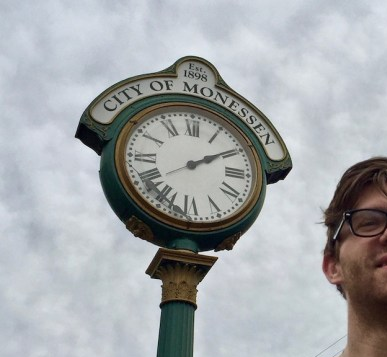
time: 2:09
